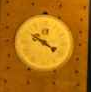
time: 3:50
